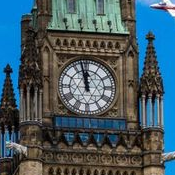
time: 11:57
